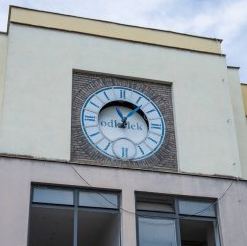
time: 11:07
